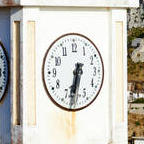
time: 6:31
